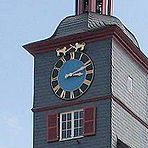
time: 3:11
